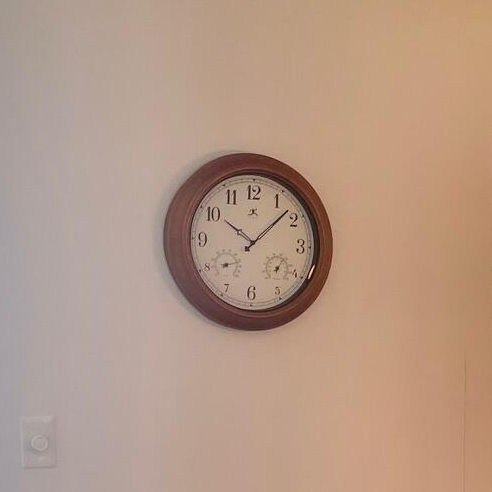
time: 10:07
